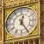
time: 12:24
